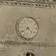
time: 4:38
